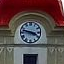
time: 3:47
